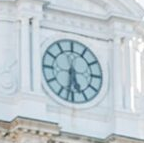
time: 5:31
